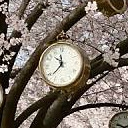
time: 11:37
